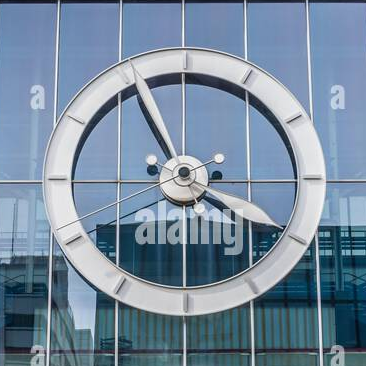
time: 3:55
